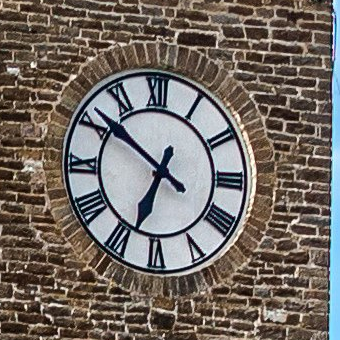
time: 6:51
